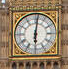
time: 6:01
